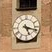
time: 5:17
